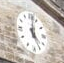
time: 5:01
